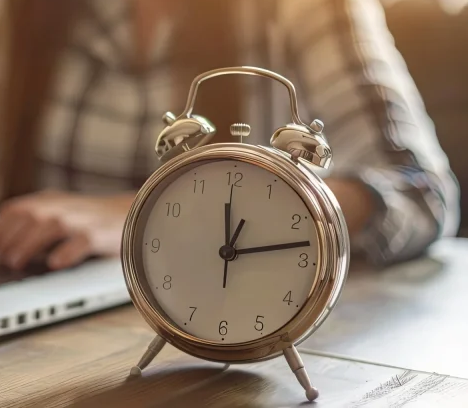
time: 12:13
